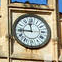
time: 11:44
